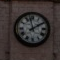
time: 1:57
